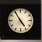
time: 4:54
